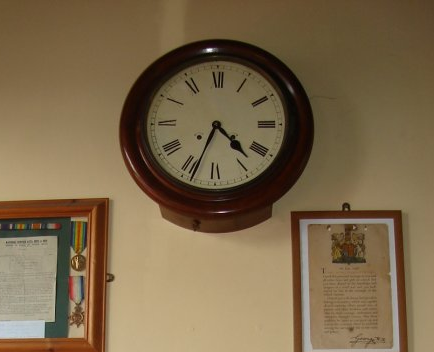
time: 4:33
